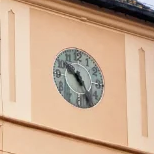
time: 10:24
